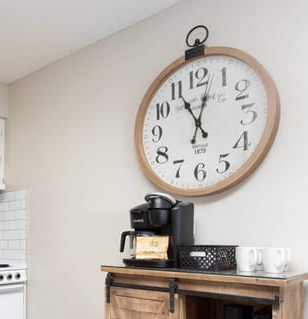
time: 11:02
